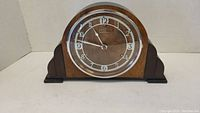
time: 10:47
